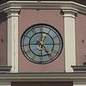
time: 12:24
